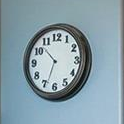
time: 10:33
